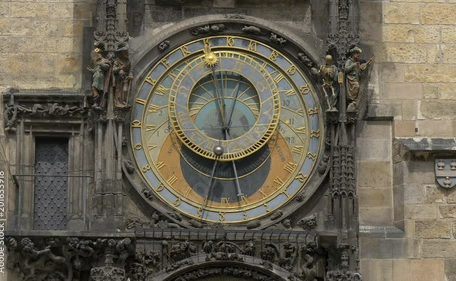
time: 5:59
